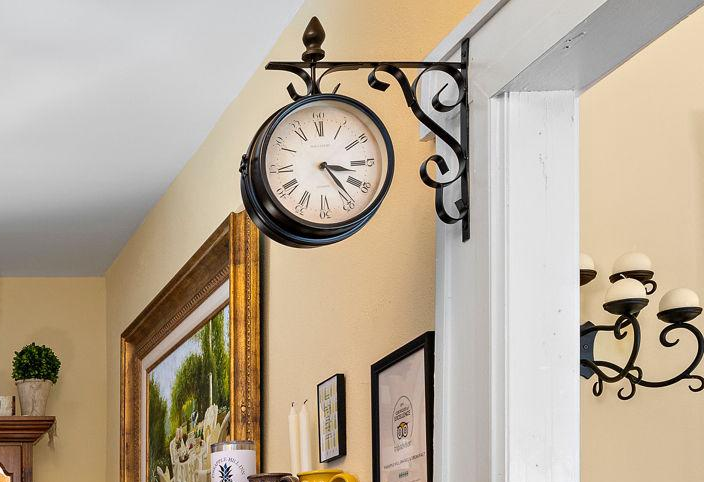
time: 3:23
